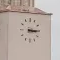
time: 3:14
